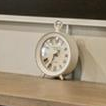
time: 1:34
